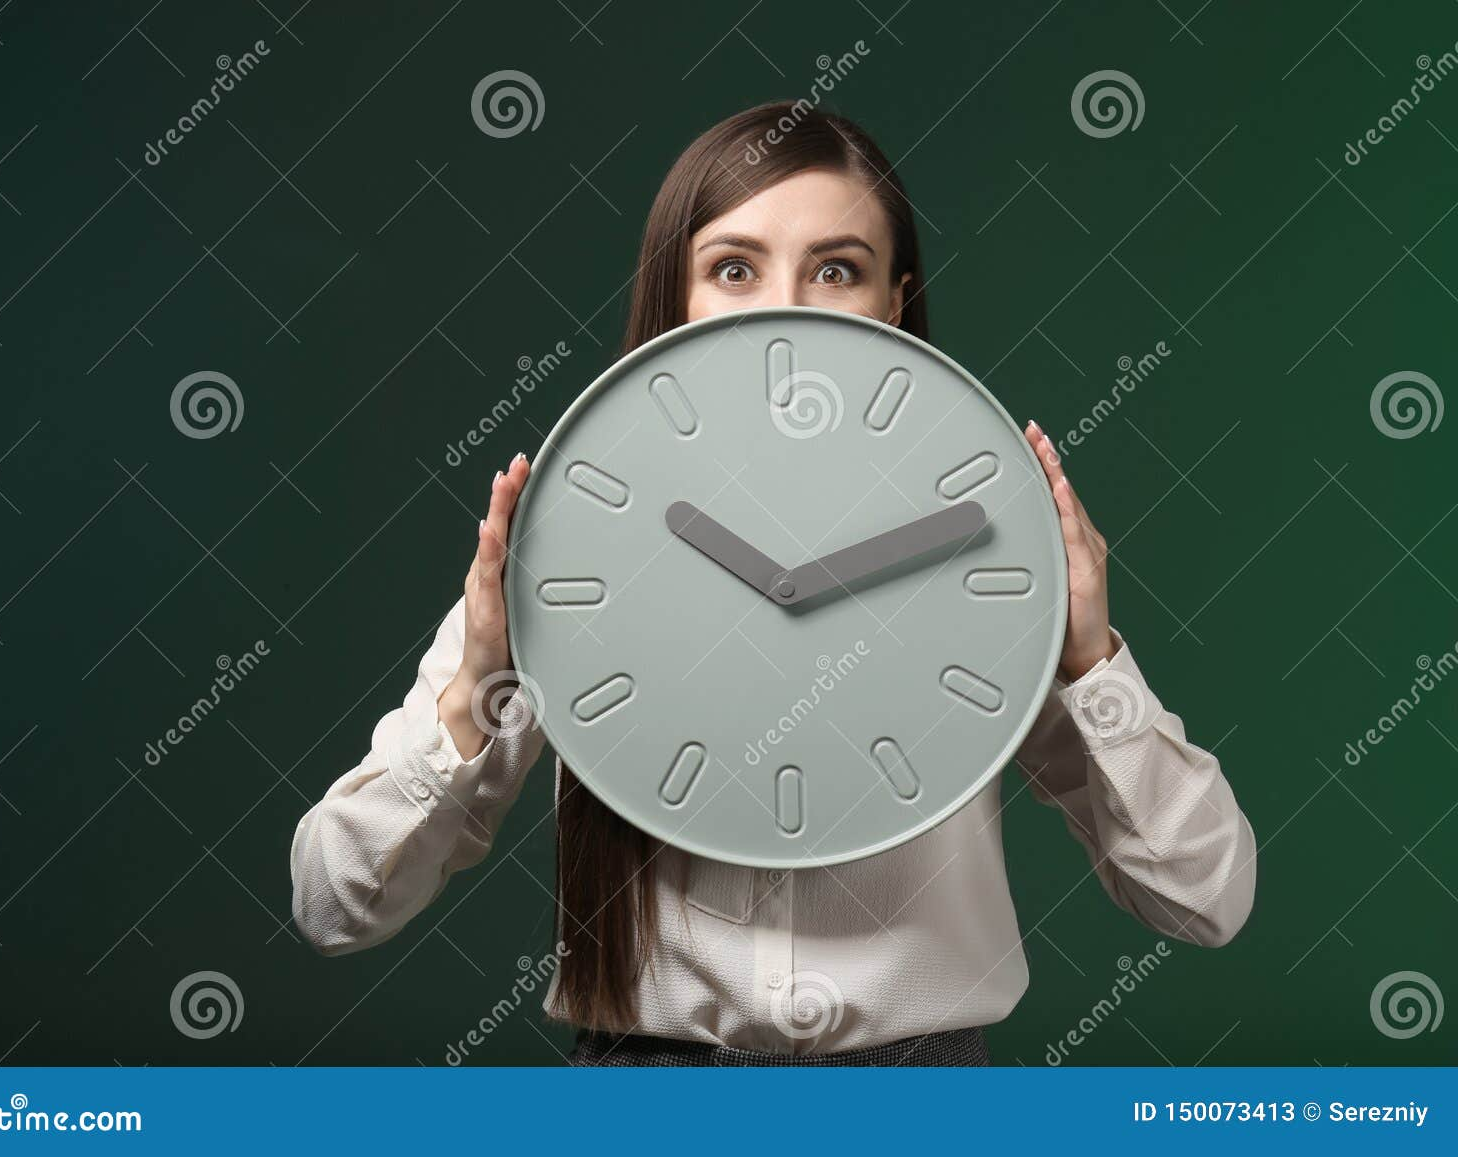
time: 10:12
